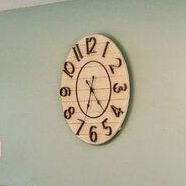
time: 4:34
